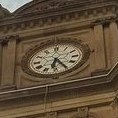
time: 6:24
